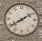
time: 1:39
